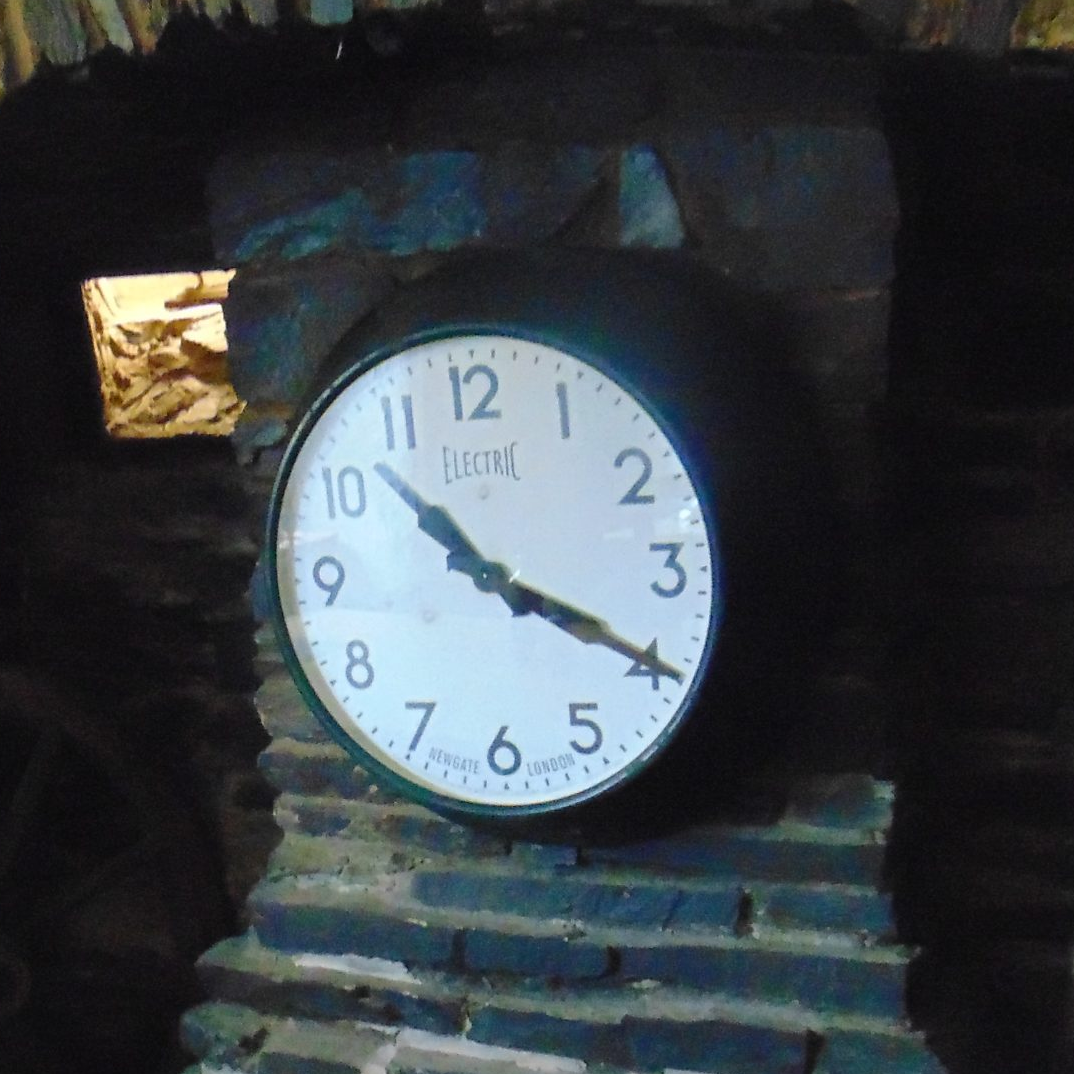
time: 10:19
